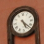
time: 5:22
